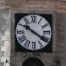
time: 10:20
